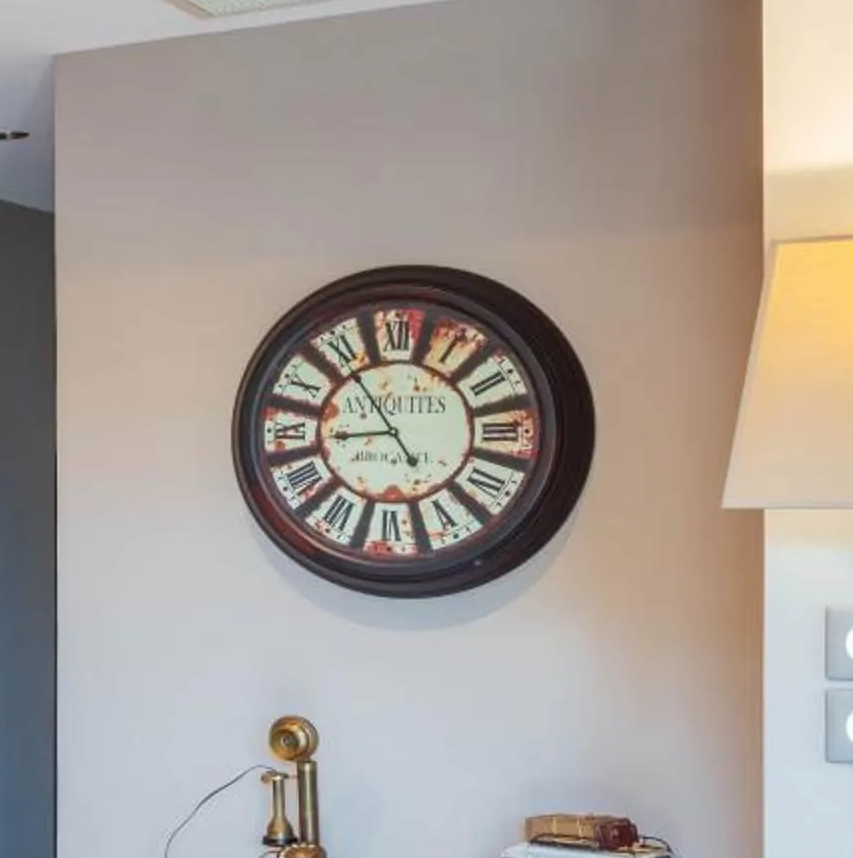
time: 8:54
